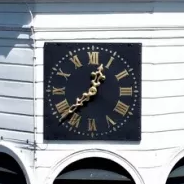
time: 12:37
